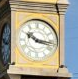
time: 10:17
